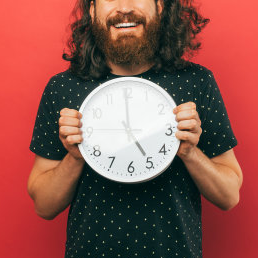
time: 4:59
